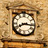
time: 8:16
